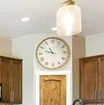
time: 10:47
